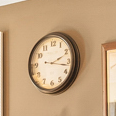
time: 2:17
